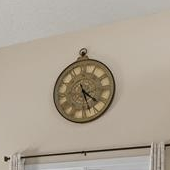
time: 4:27
